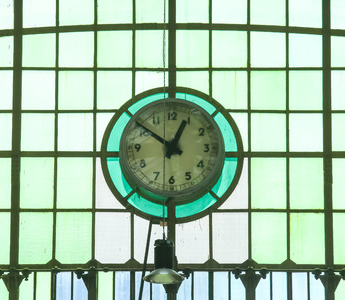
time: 12:51
